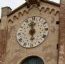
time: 5:59
